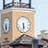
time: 5:31
